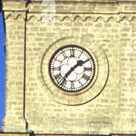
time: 1:36
